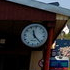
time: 11:22
